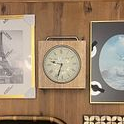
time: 9:33
